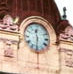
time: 11:31
